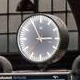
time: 2:55
